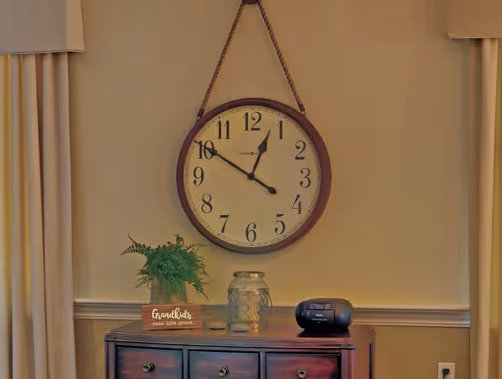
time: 12:50
